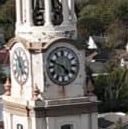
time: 4:48
